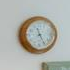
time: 11:25
